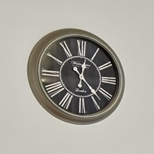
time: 12:23
